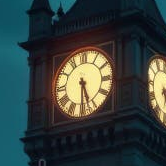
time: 5:30
